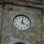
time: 12:18
